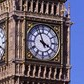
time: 3:56
